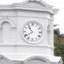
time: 10:39
